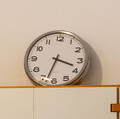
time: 3:33
